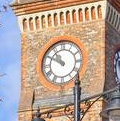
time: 10:50
